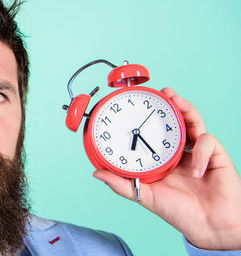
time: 6:24
